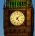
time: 5:07
